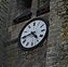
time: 4:43
